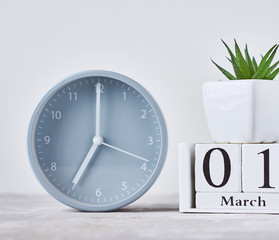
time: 7:00
